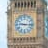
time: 9:15
